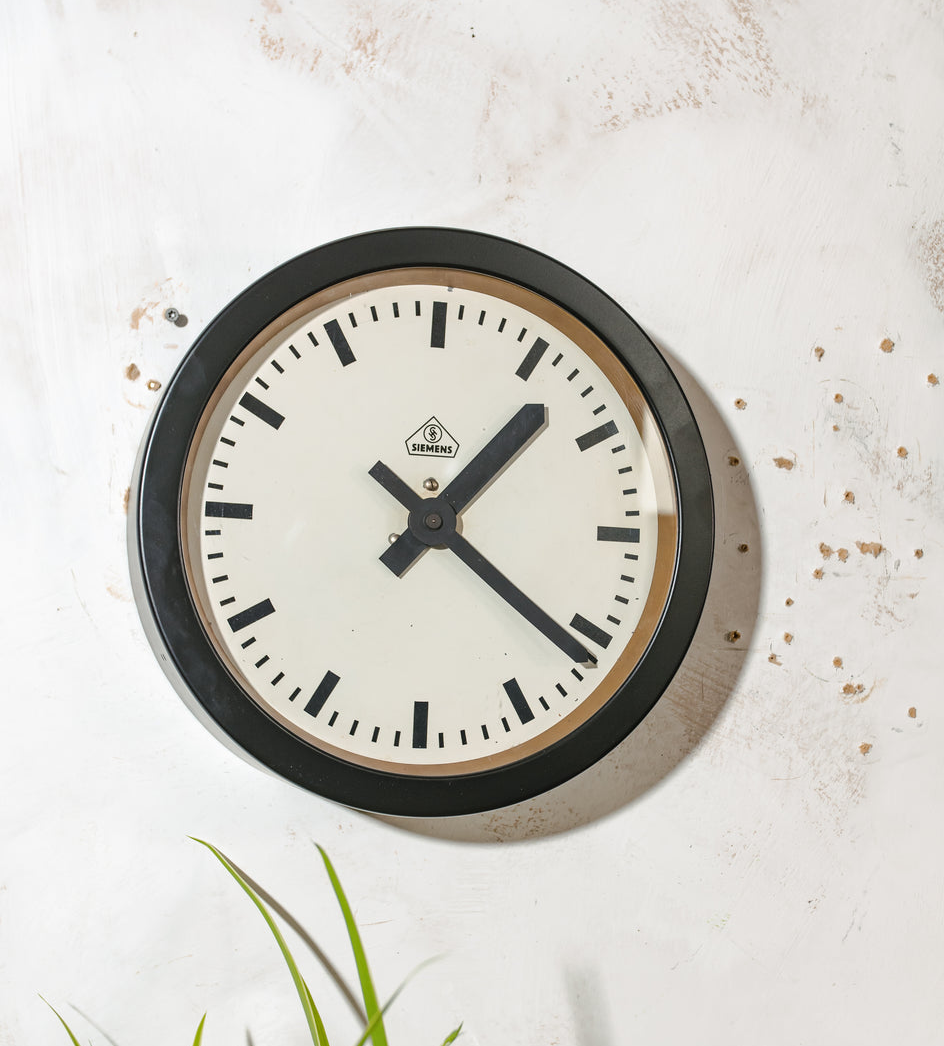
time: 1:21
